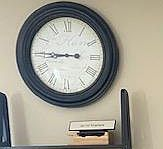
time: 8:45
